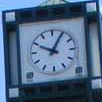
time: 10:04
